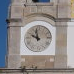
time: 9:57
